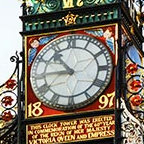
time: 10:45
